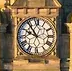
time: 9:54
